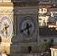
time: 5:40
